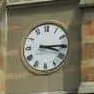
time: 3:14
